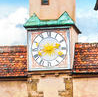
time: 2:40
